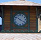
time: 10:20
